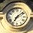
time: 7:08
